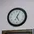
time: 5:04
